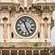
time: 11:25
